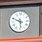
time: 5:48
